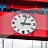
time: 3:02
